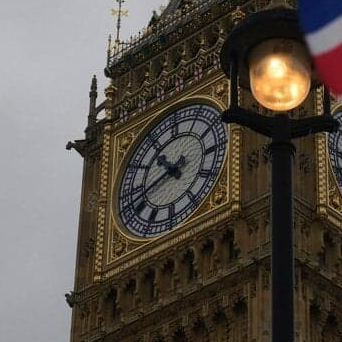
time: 10:42
